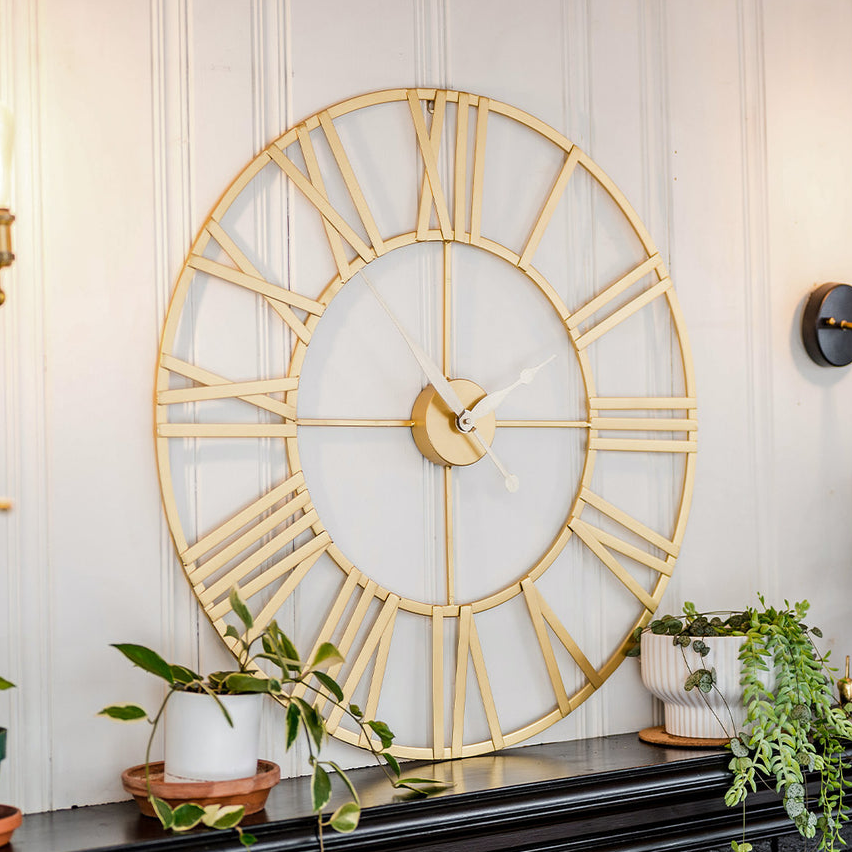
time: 2:00
